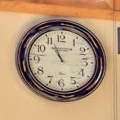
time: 10:55
